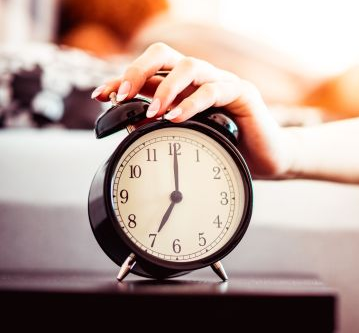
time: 7:00
